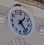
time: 1:22
